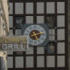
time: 5:13
